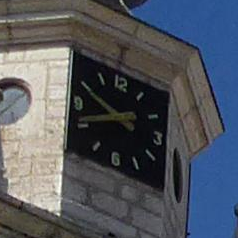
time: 9:41
